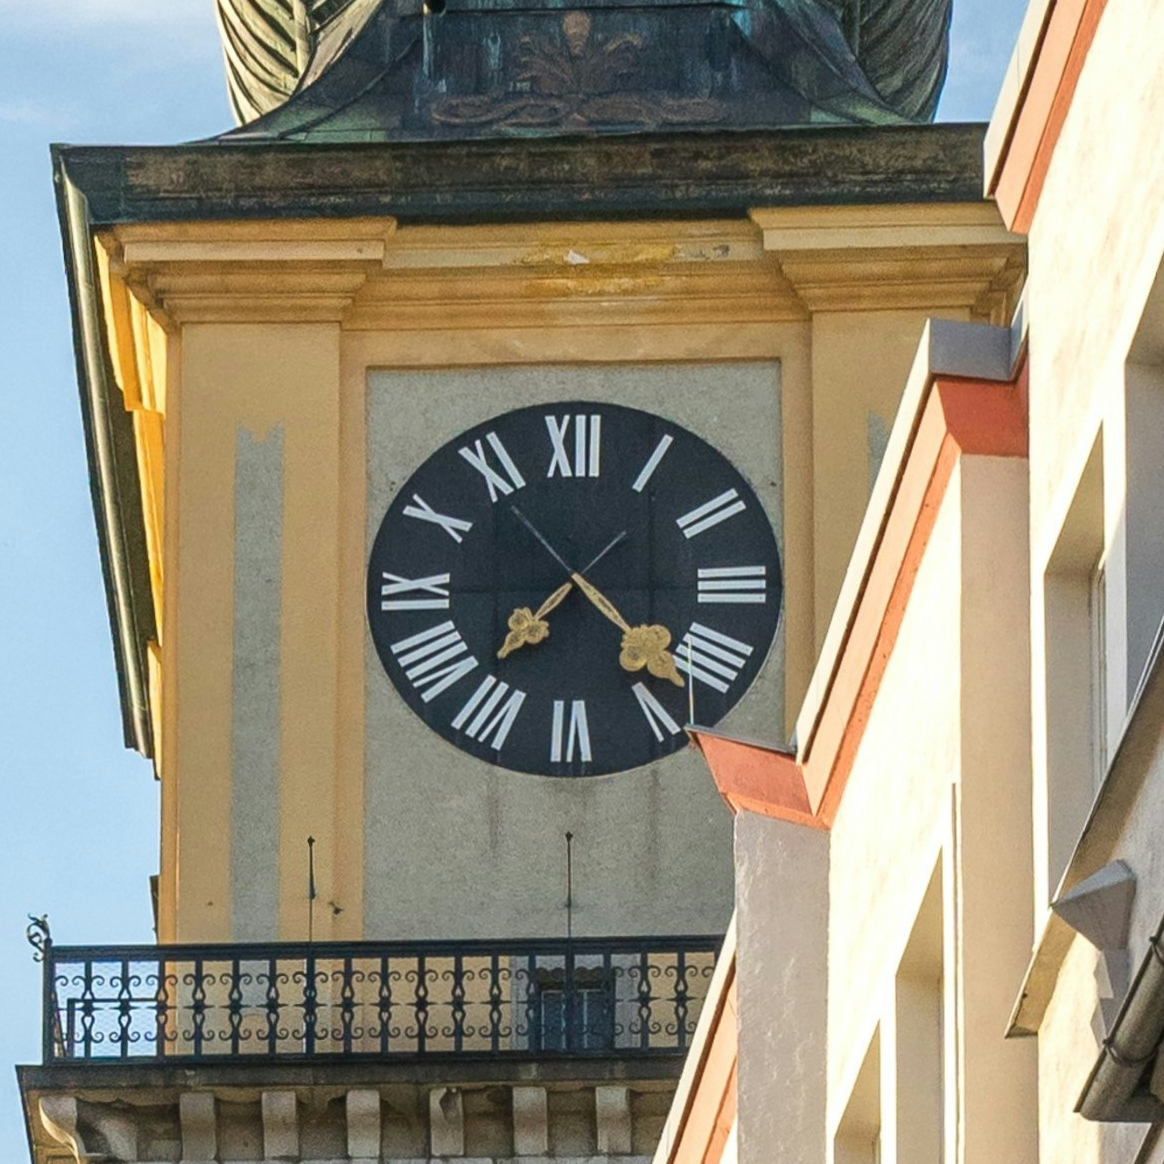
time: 7:22
